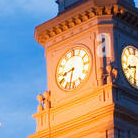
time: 8:32
